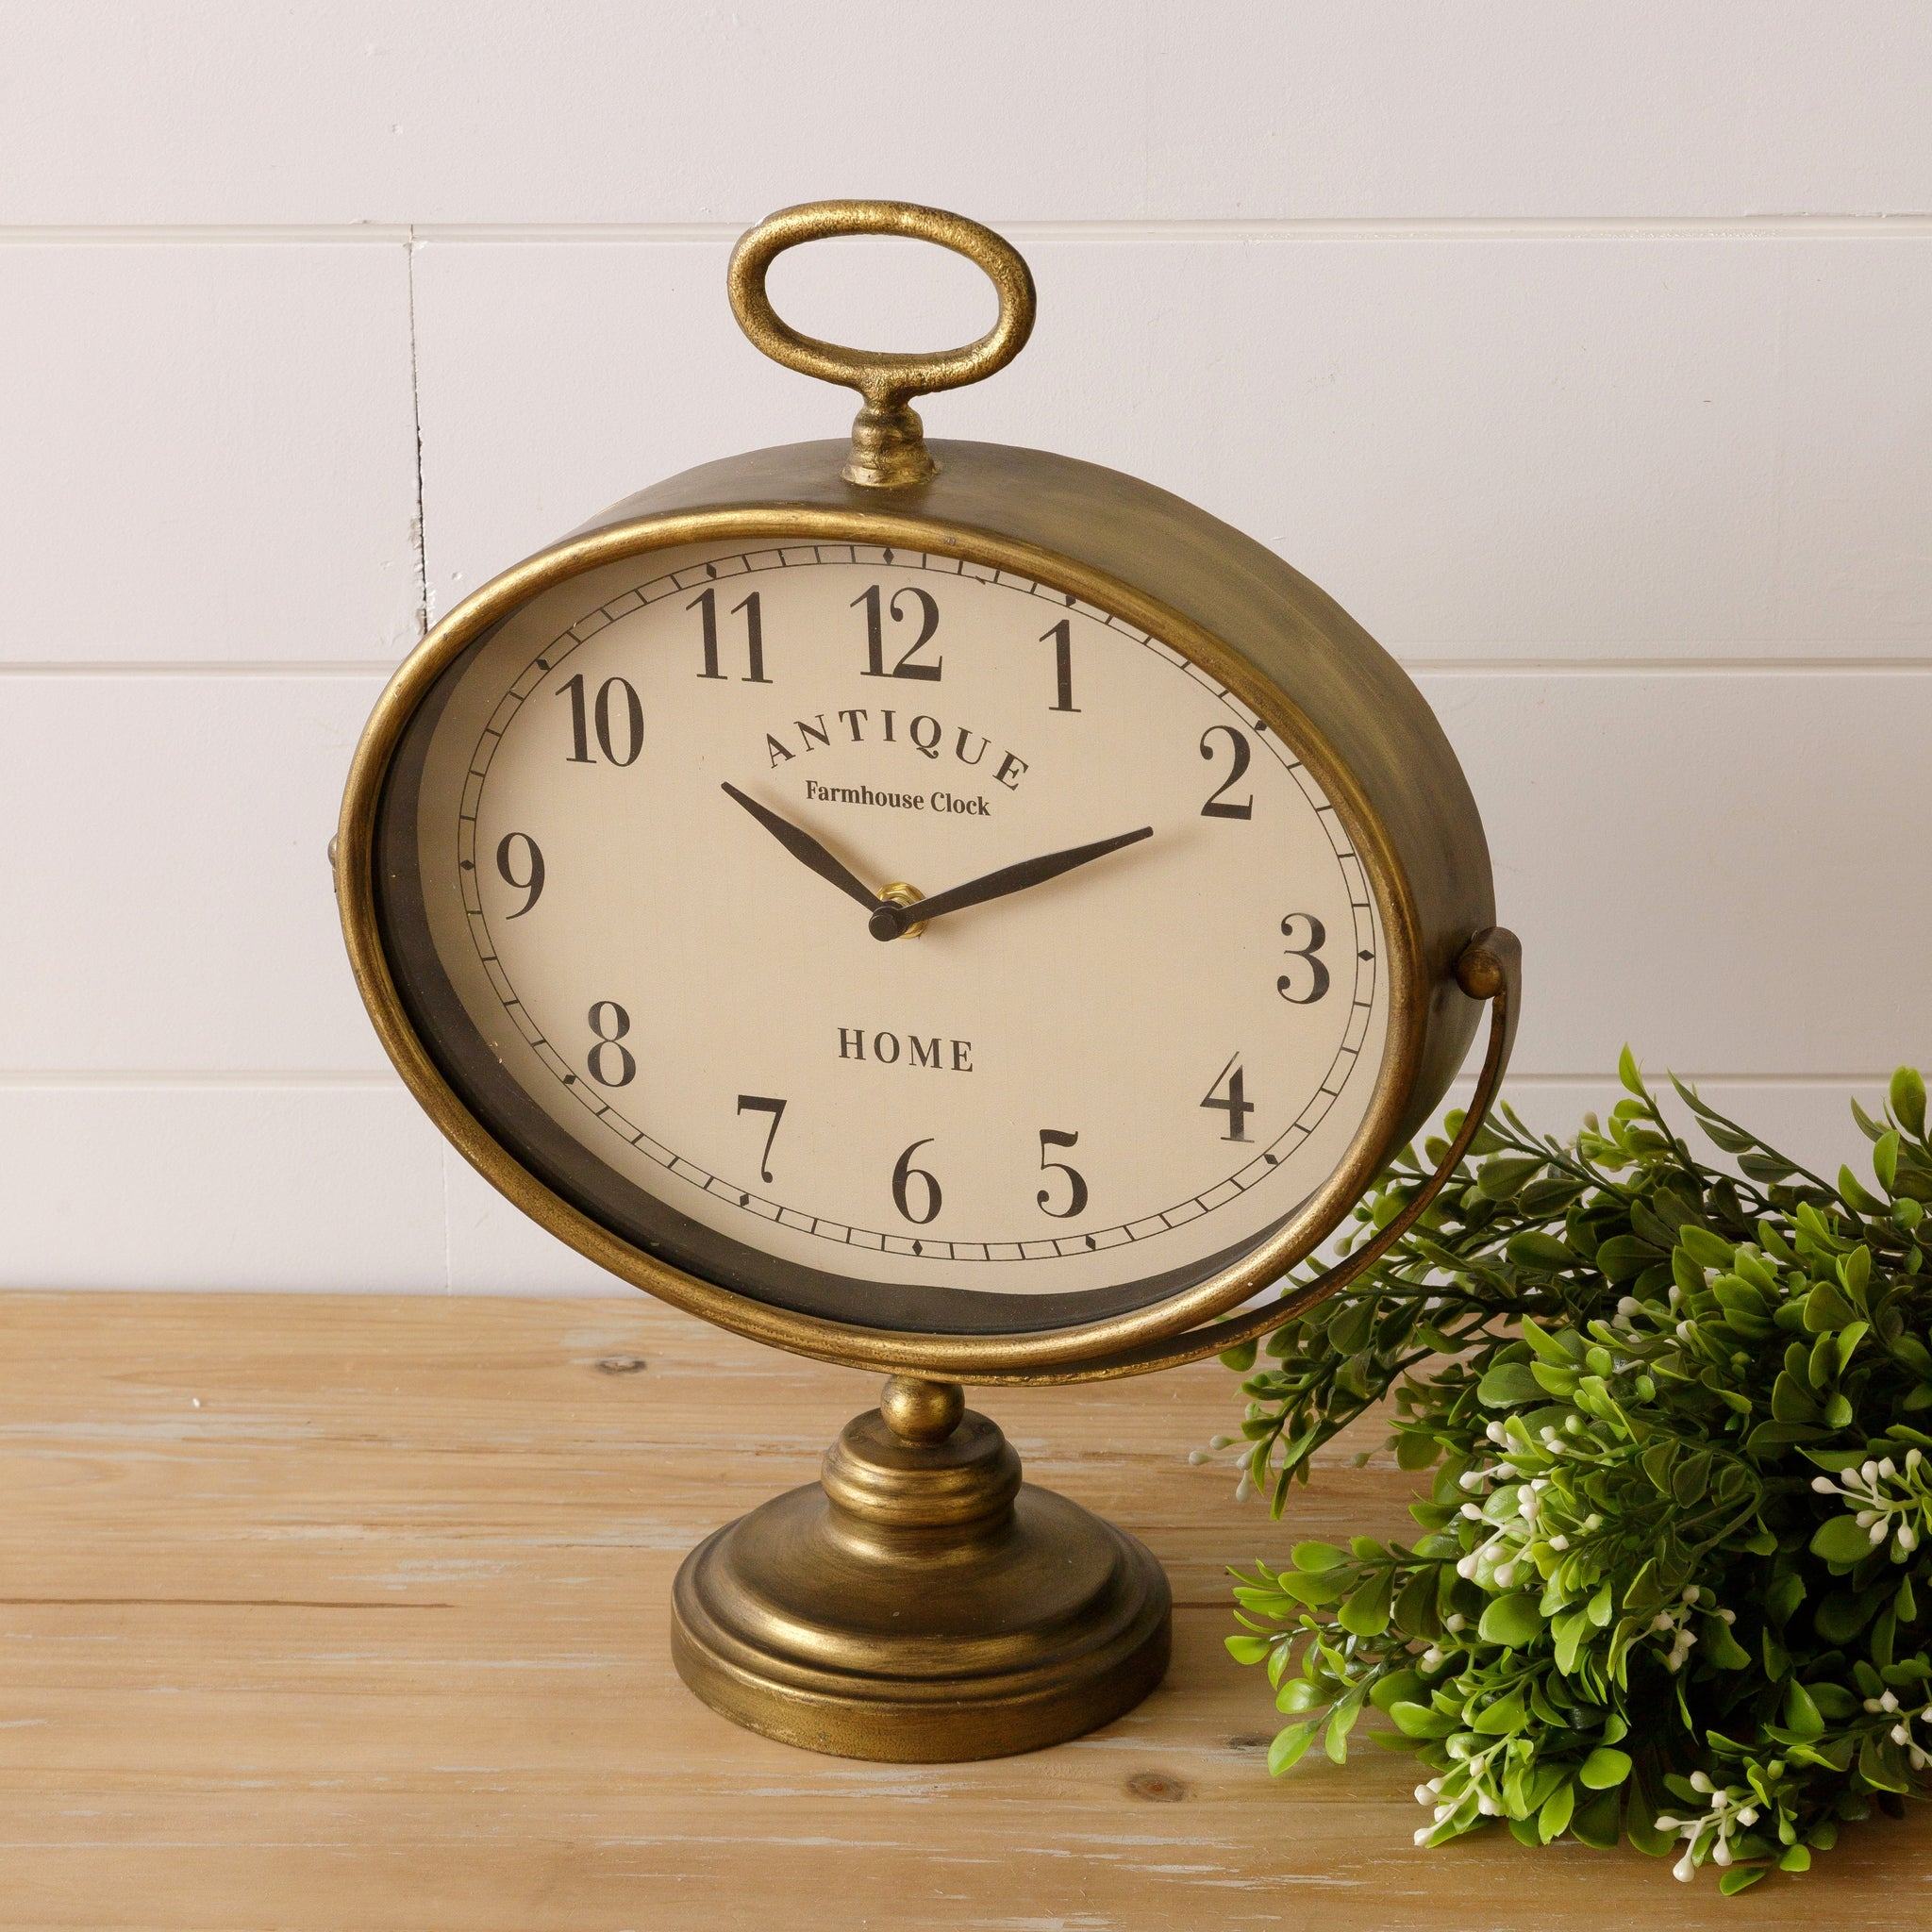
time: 10:10
